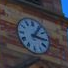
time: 3:05
